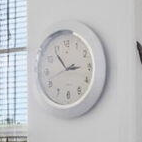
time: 2:53
